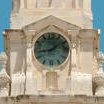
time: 1:43
